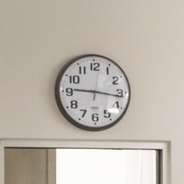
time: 9:16
